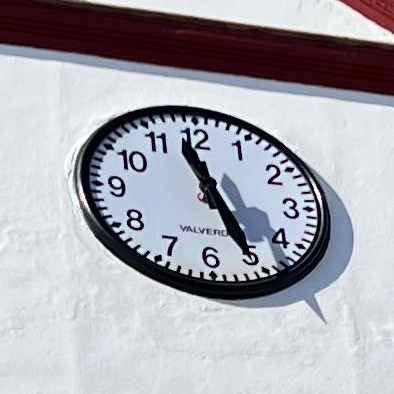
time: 11:25
